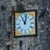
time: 11:02
